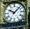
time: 10:07
